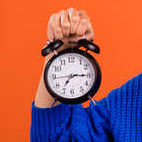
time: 7:15
